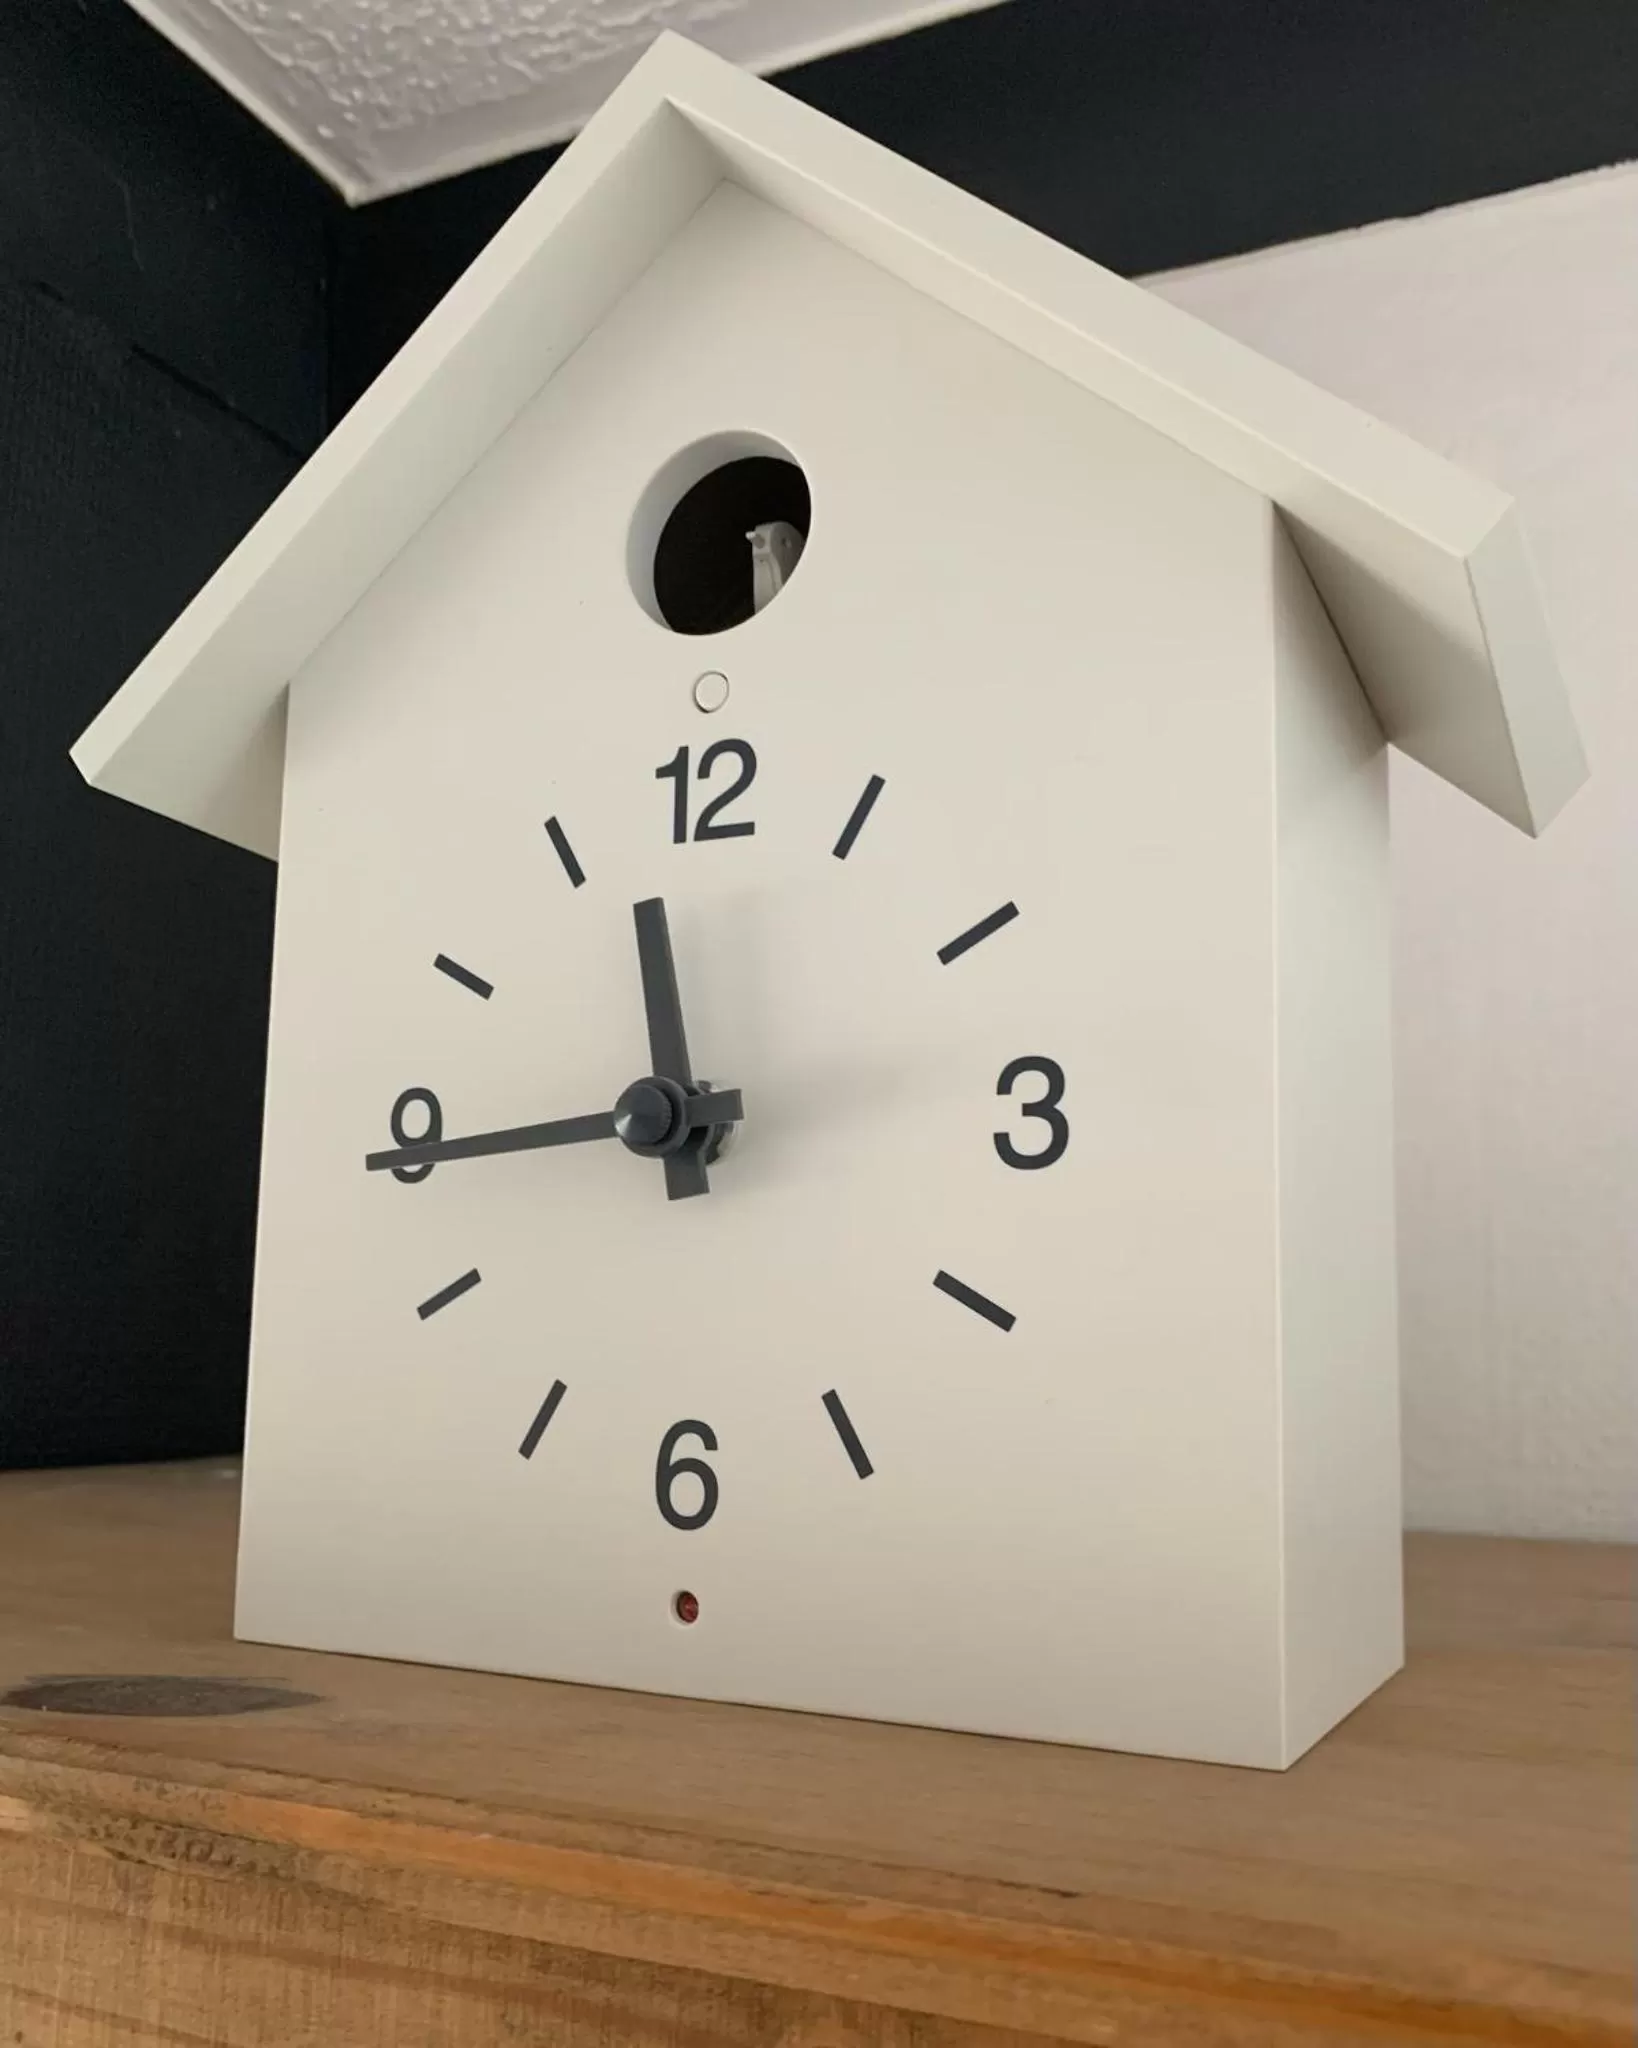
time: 11:44
